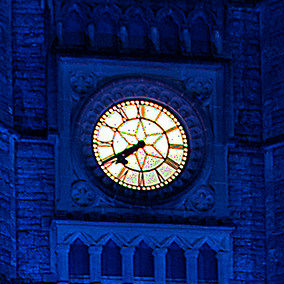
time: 7:40
